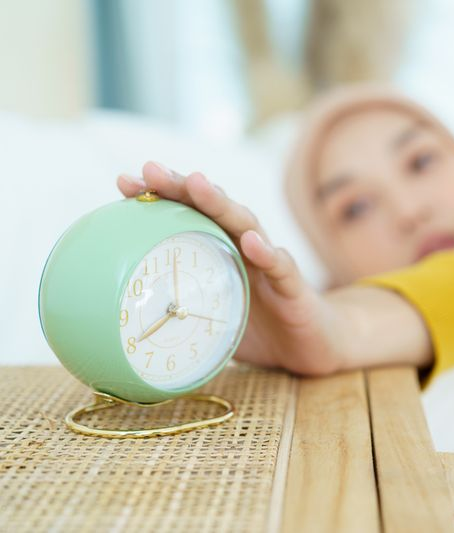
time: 8:00
